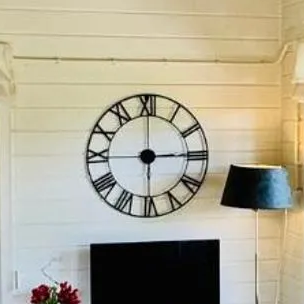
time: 2:59
